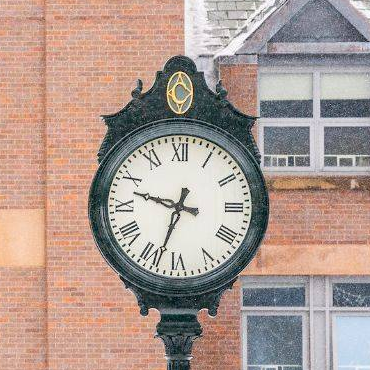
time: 9:33
